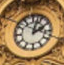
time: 2:02
